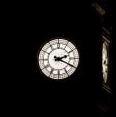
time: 2:19
